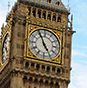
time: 4:55
